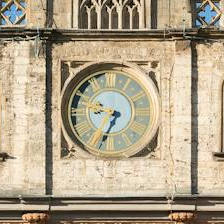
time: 9:35
